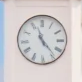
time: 11:23
